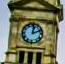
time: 12:11
